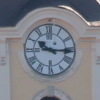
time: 10:15
